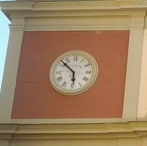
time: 5:51
